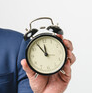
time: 11:54
